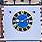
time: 8:09
